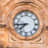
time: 7:43
